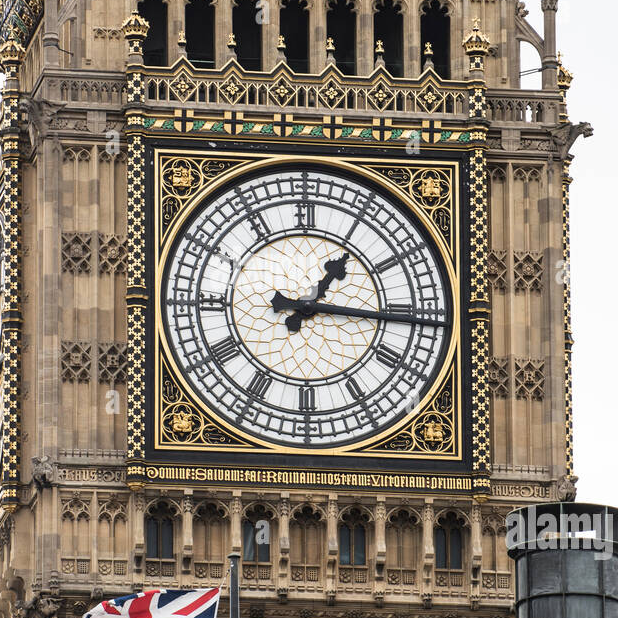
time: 1:16
